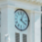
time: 4:03
